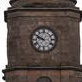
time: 9:50
